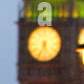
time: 5:33
